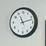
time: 11:12
